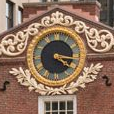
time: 4:16
